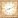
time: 8:11
